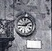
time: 1:43
